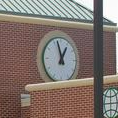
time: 12:57
